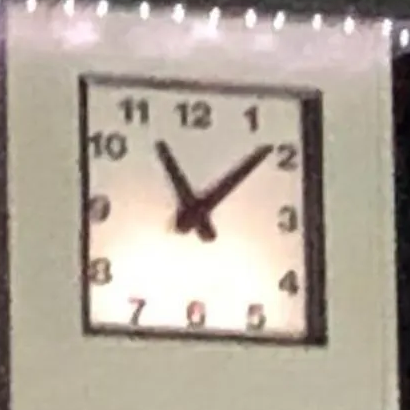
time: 11:08
